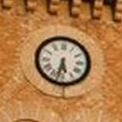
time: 5:32
